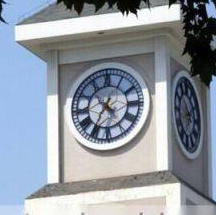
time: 4:34
